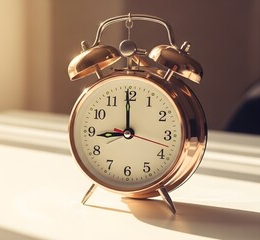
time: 8:59
